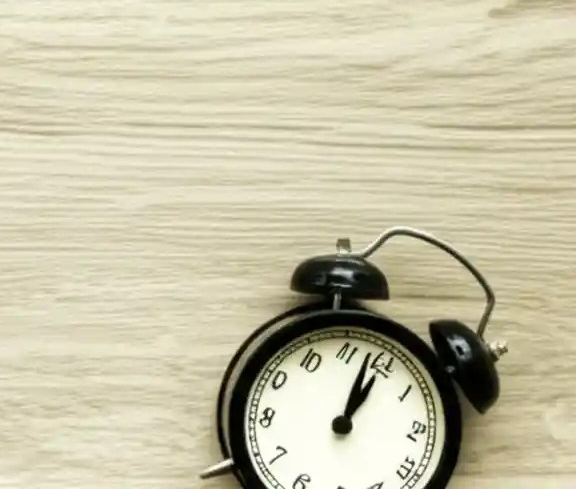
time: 1:02
